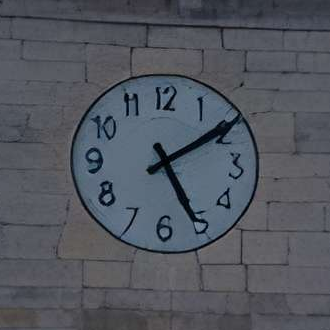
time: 5:09
